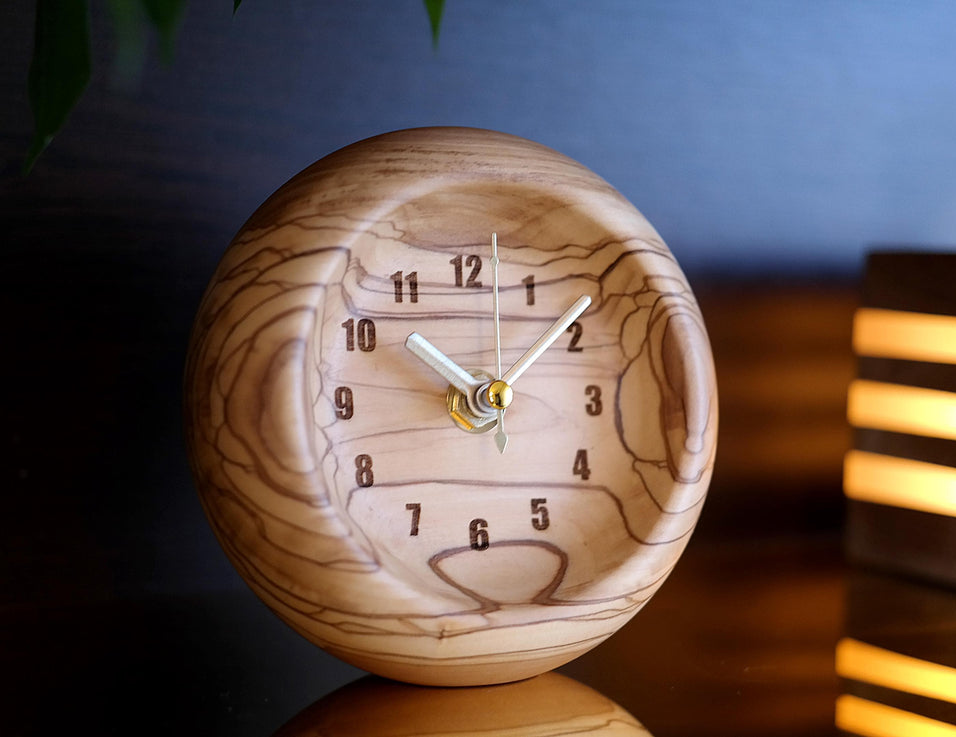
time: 10:07
